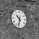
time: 10:32
